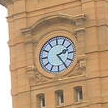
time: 2:24
